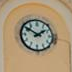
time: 1:50
